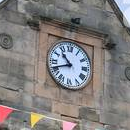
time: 10:41
